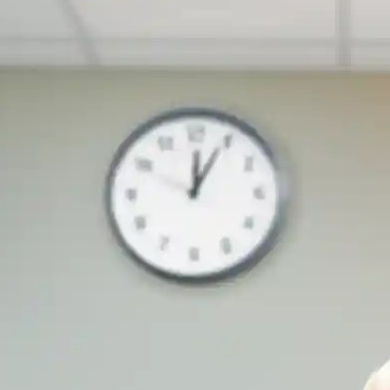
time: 12:04
